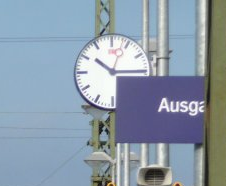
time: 10:15
